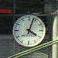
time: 4:03
